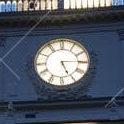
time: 5:14
